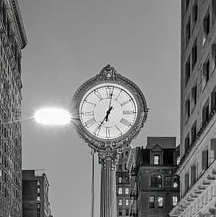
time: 7:01
